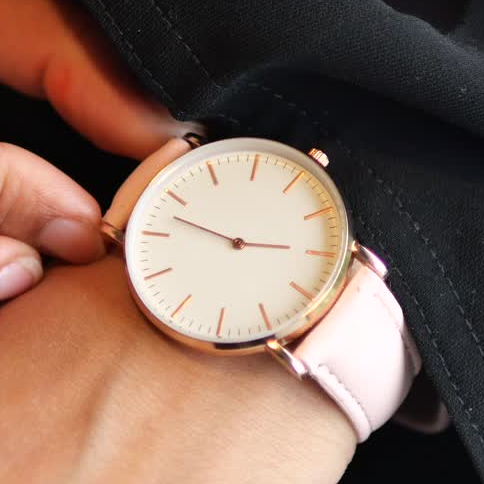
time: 2:47
